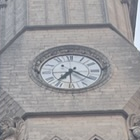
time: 7:20
